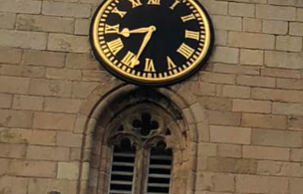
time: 8:32
